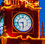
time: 5:43
